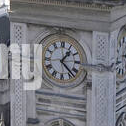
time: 1:22
